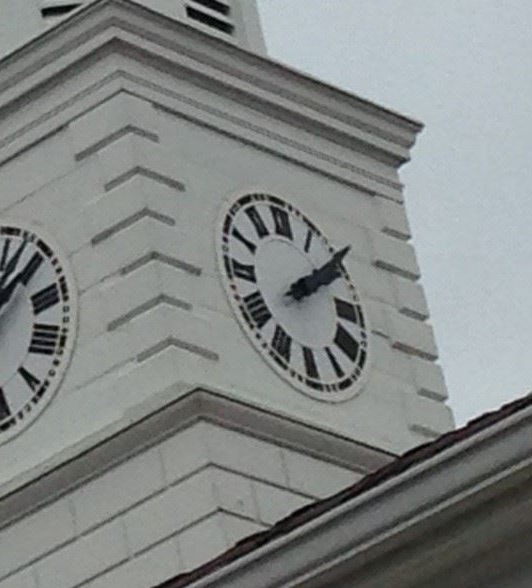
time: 2:09
